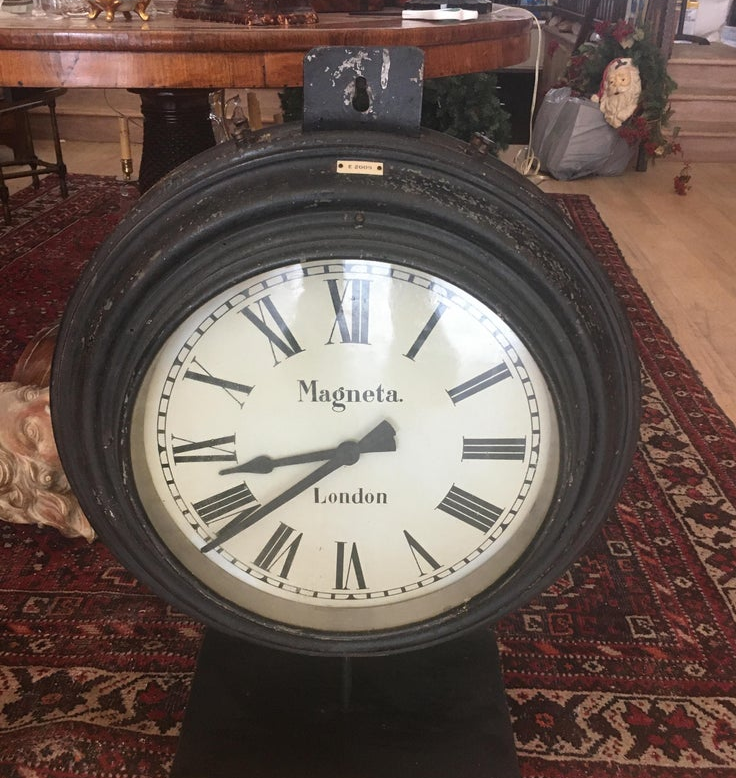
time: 8:38
